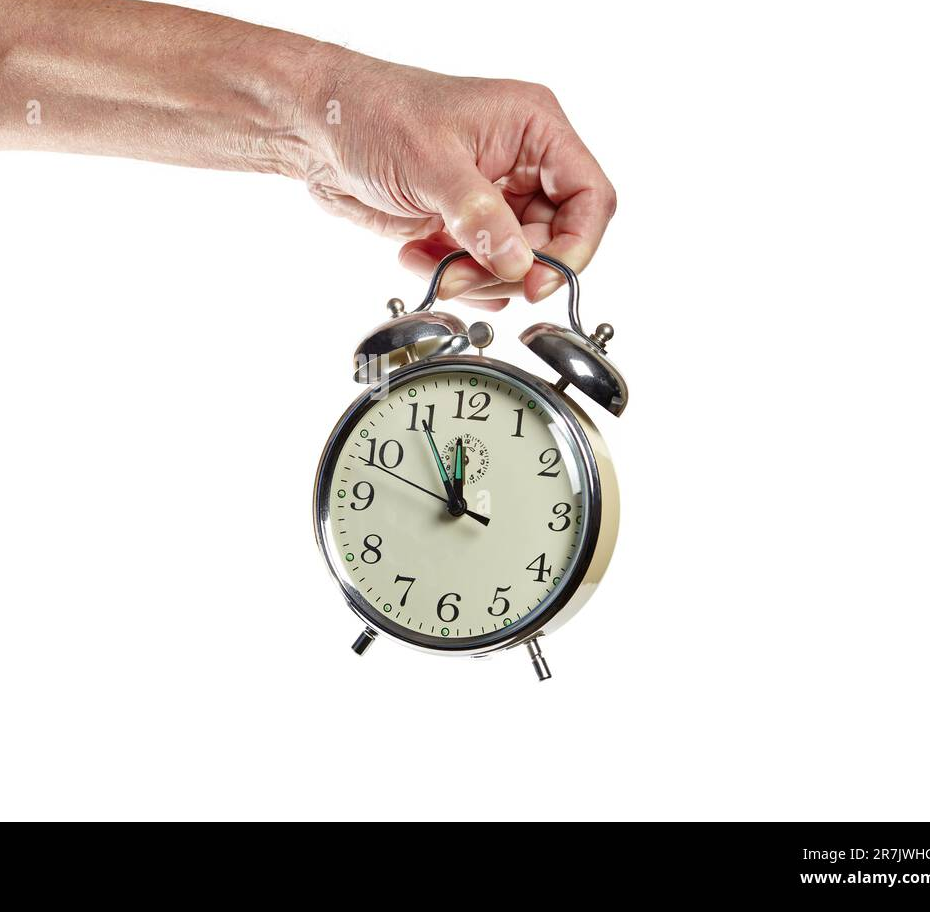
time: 11:55
